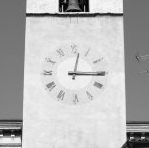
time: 3:02
